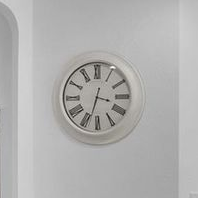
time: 3:33
